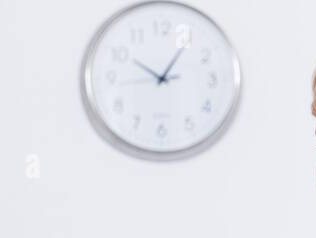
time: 10:05
